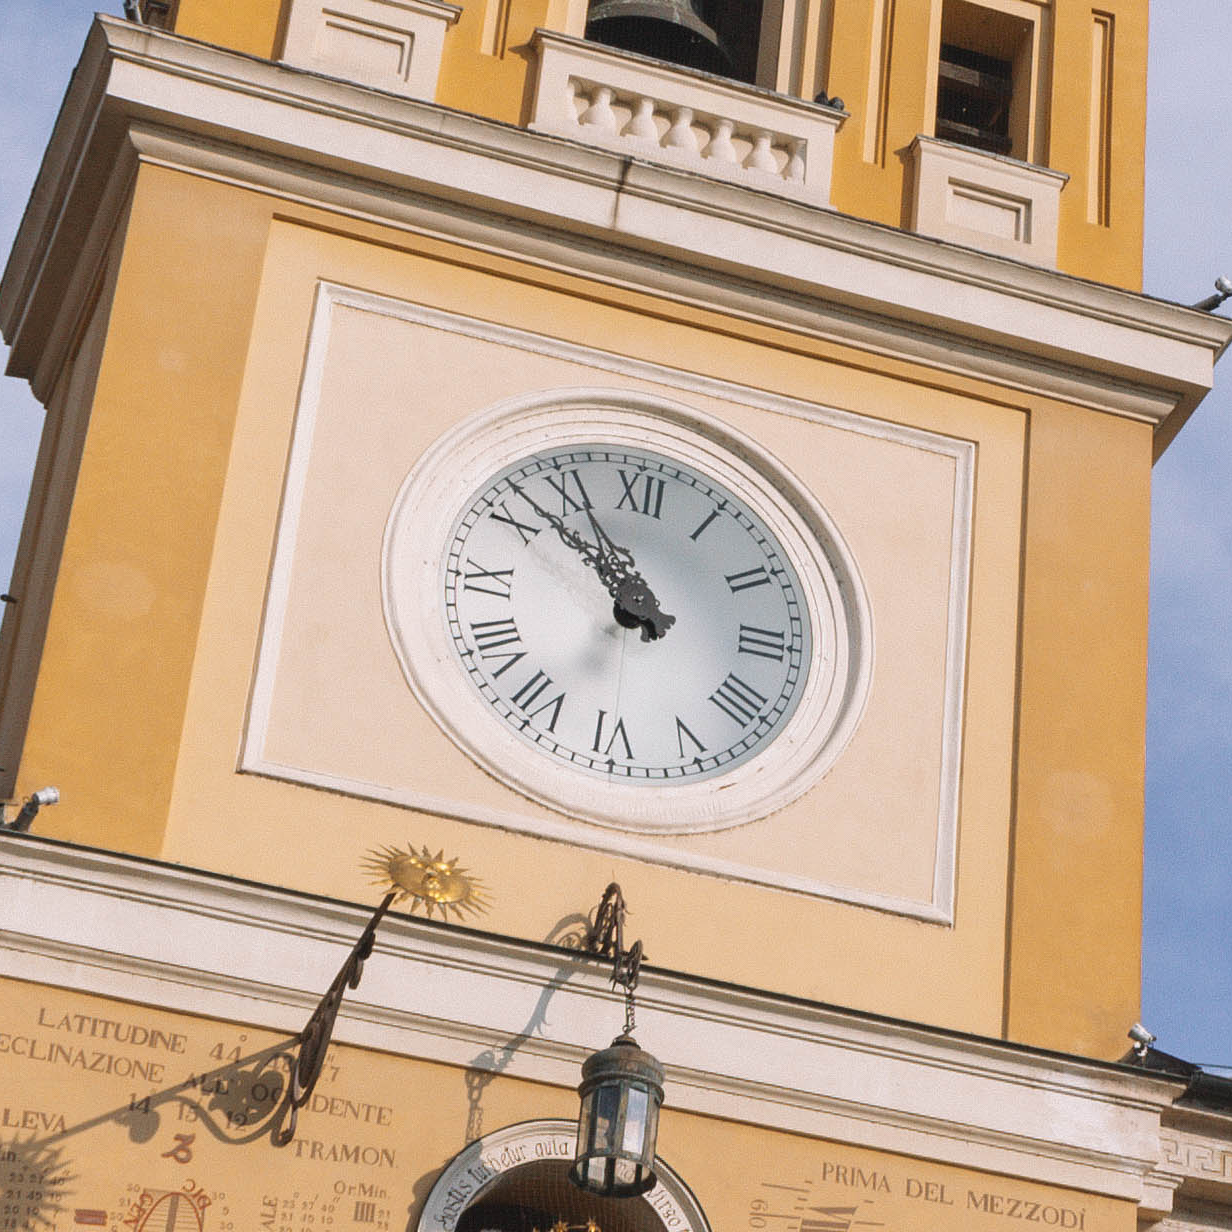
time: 10:51
